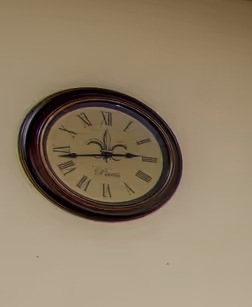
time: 2:42
